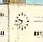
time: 9:38
